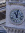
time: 11:02
